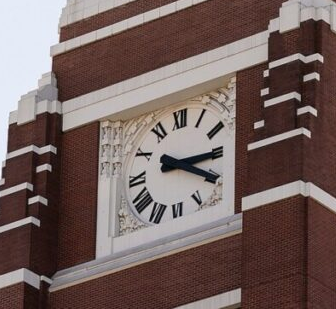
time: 3:20
